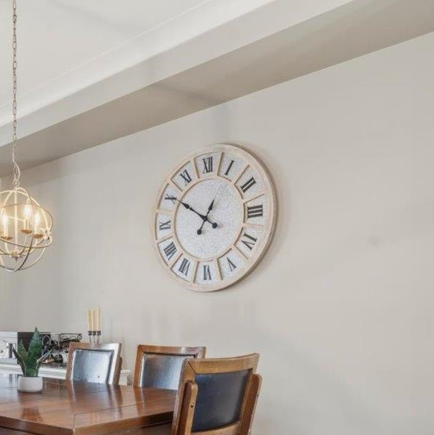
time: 12:50
